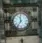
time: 11:36
